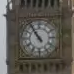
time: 10:54
